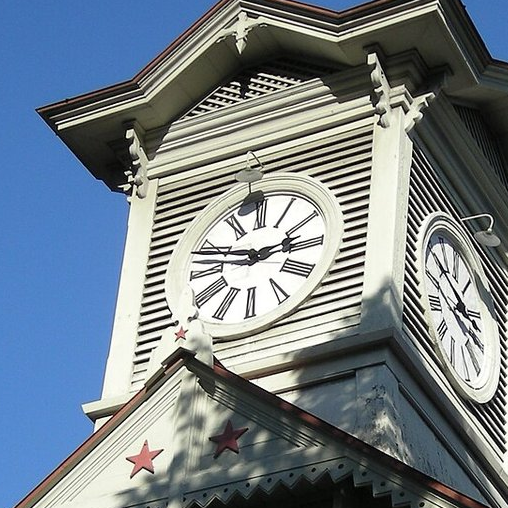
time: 2:48
